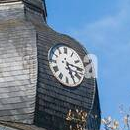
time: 5:15
